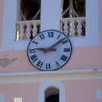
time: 9:08
